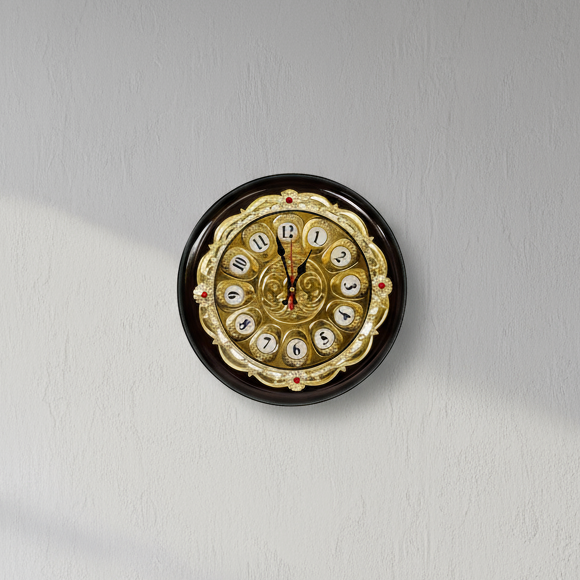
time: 12:58
